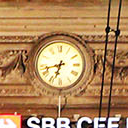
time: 6:42
